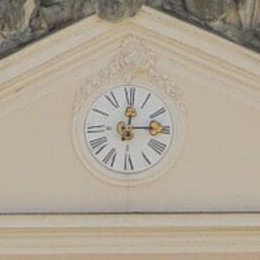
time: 12:14
